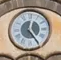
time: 12:24
